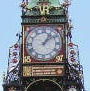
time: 1:08
